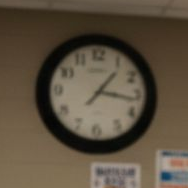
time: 1:16
